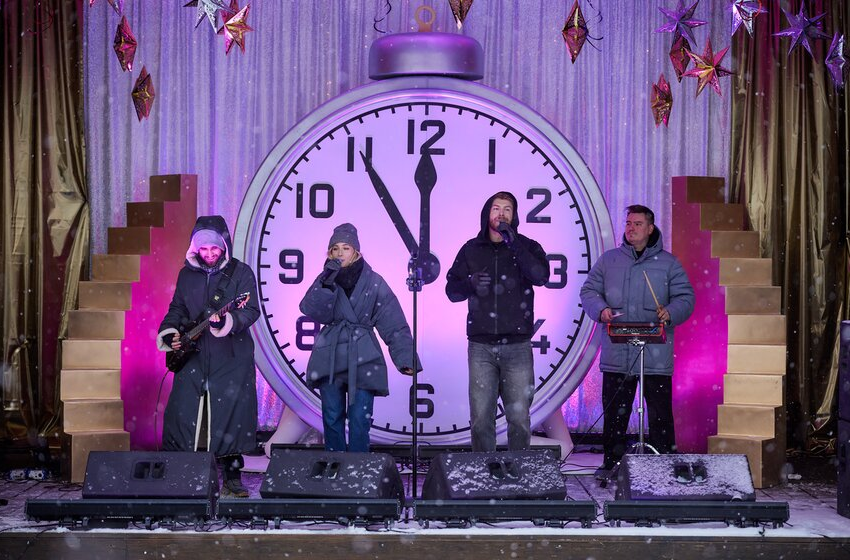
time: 11:54
